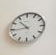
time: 10:43
